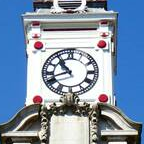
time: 10:42
